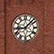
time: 9:07
